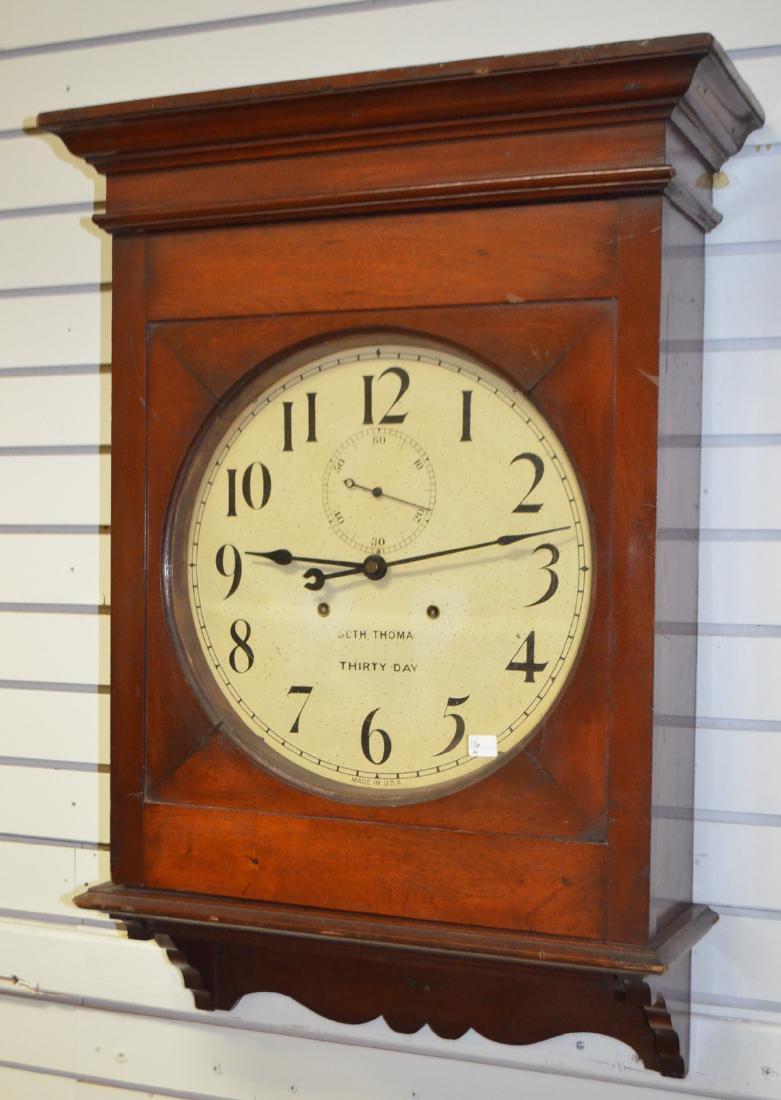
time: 9:12
